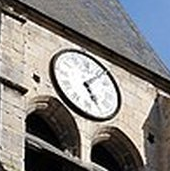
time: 5:06
